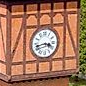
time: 3:42
